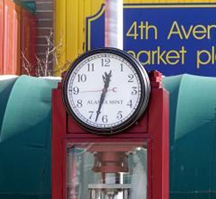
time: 12:32
